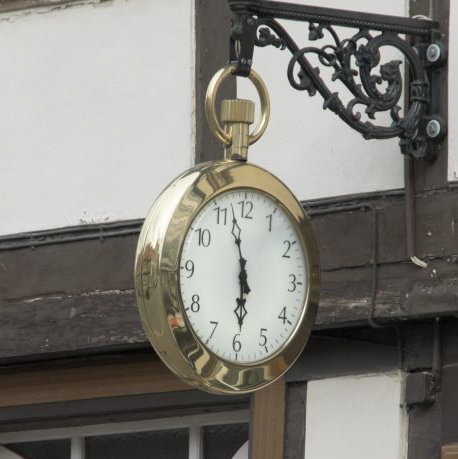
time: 5:58
